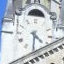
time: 4:30
